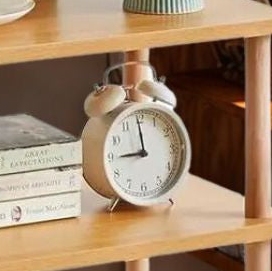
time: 8:59
